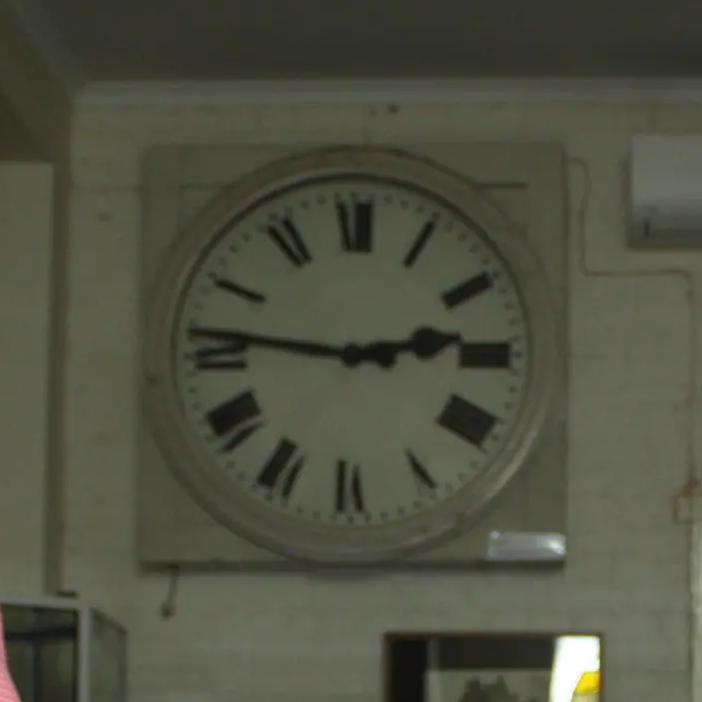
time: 2:46
